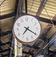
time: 7:20
